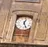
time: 12:26
